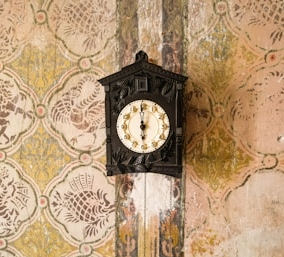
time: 5:59
